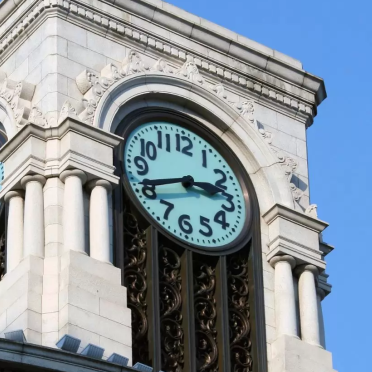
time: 2:40
